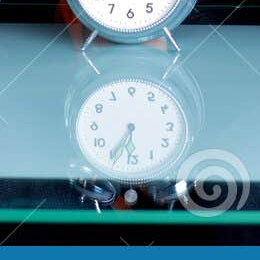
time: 6:35
